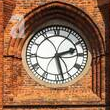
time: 2:27
